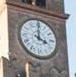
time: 4:00
